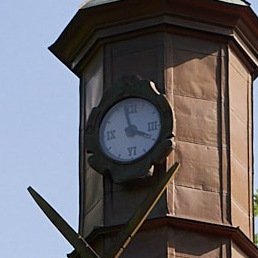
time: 3:57
